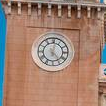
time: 12:23
